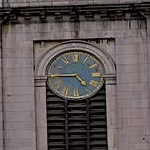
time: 4:45
